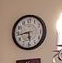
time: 5:43
